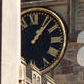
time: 1:07
